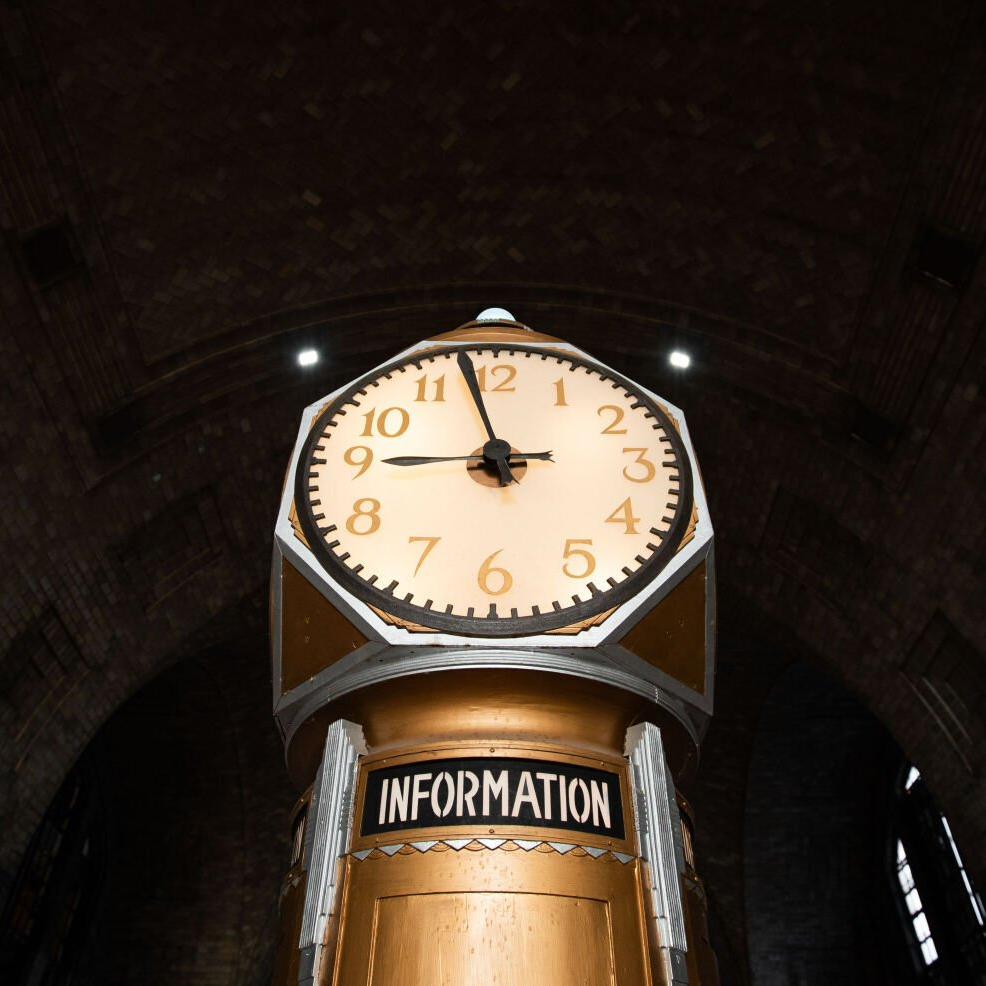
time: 8:57
